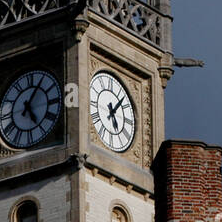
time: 5:06
